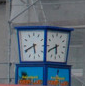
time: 5:40
